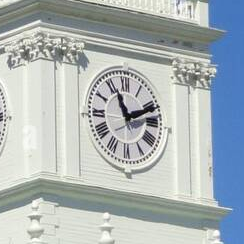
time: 11:11
